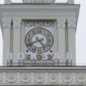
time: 4:41
